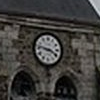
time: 3:46
